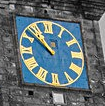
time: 10:51
